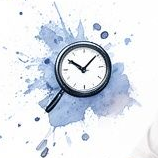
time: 10:07
